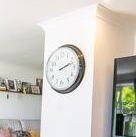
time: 2:11
